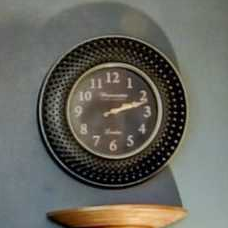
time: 2:12
